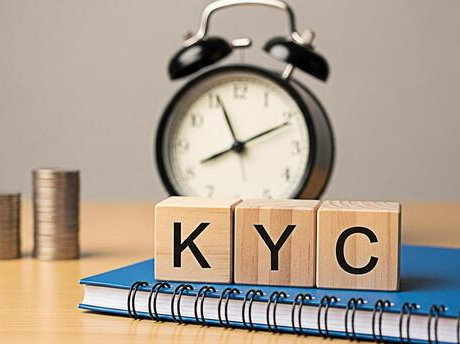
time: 8:11
